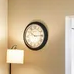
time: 10:14
